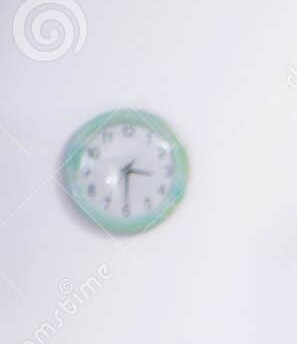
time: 3:30
